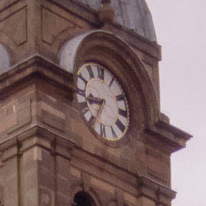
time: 8:34
